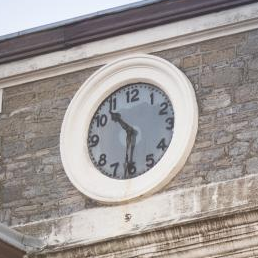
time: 10:31
